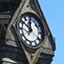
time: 11:50
